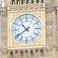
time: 10:39
